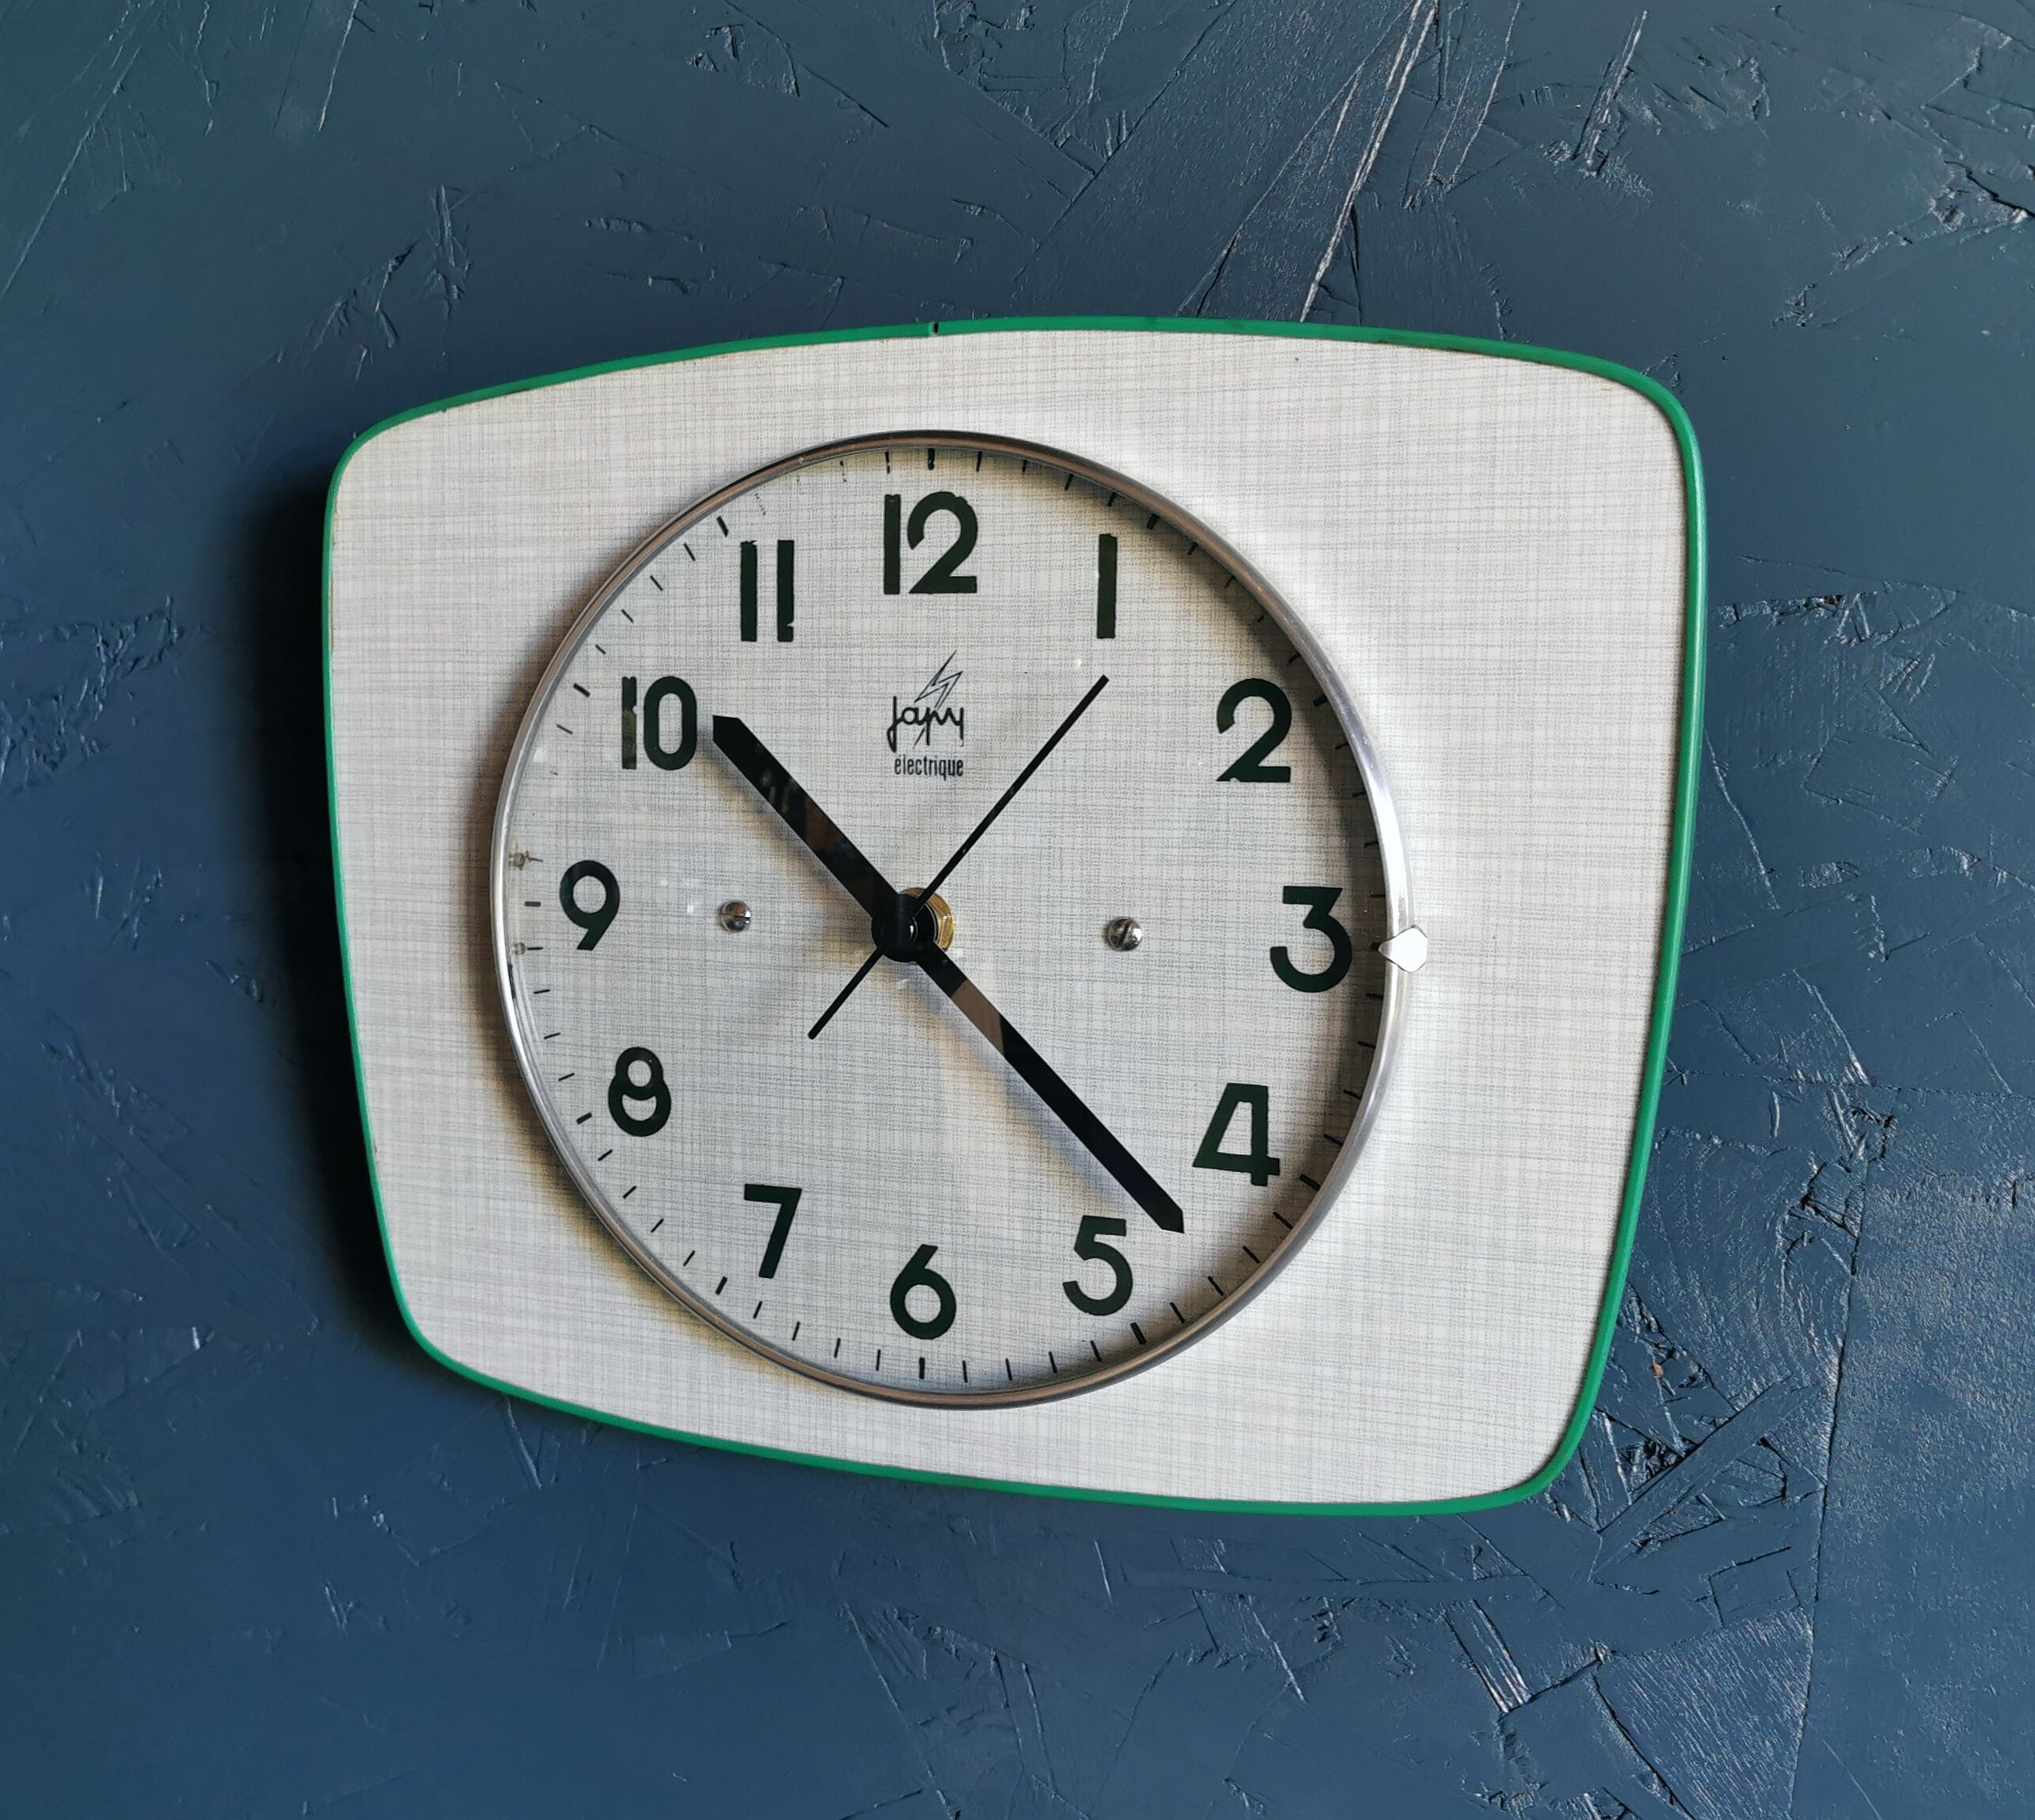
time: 10:22
